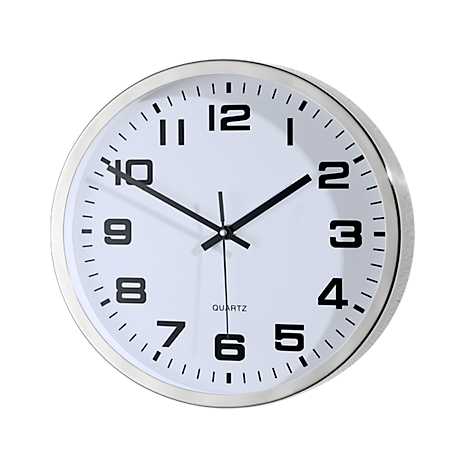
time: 1:49
